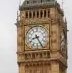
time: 8:25
